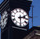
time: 2:29
